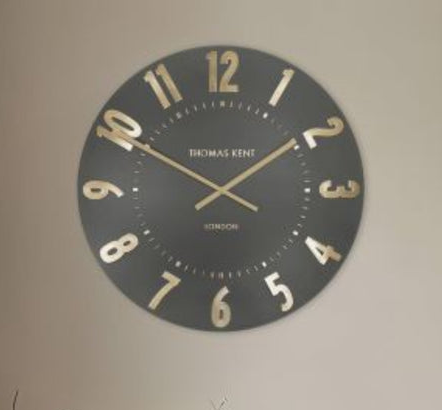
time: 1:50
